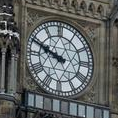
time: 9:48
